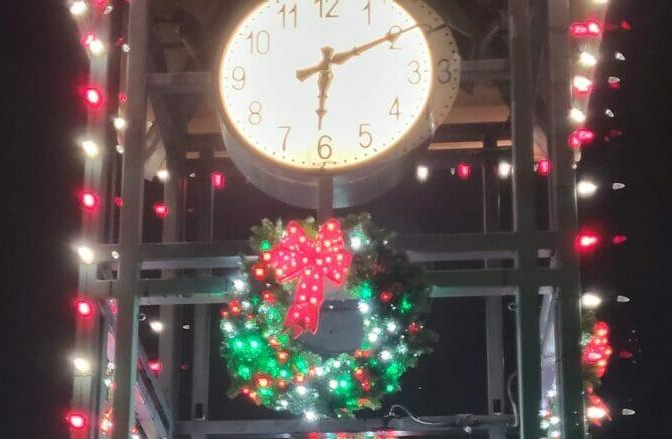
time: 6:10
